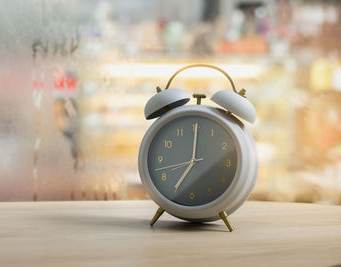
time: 7:00
